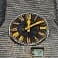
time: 12:09
